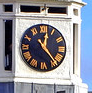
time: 12:23
